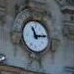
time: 11:13
